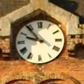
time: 9:53
